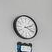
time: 2:18
